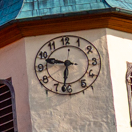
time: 9:32
